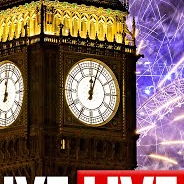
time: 12:03
